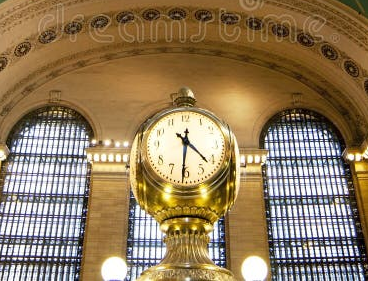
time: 4:31
